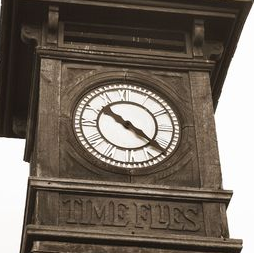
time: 10:21
